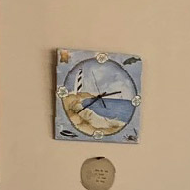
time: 2:39
